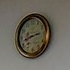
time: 2:42
